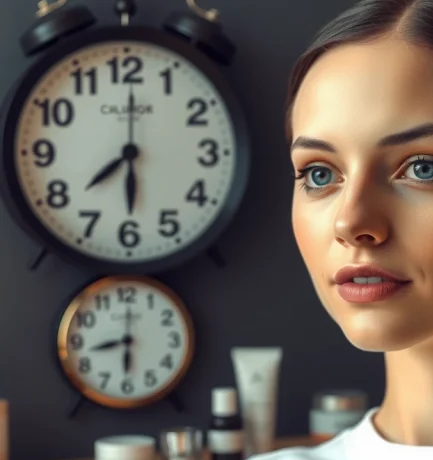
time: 6:00
